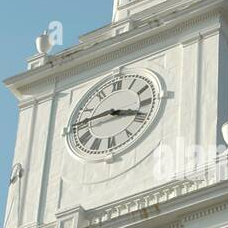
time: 3:45
